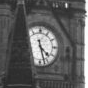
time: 4:27
